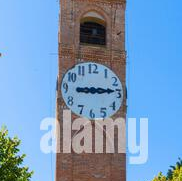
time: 9:14
